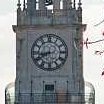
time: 8:40
